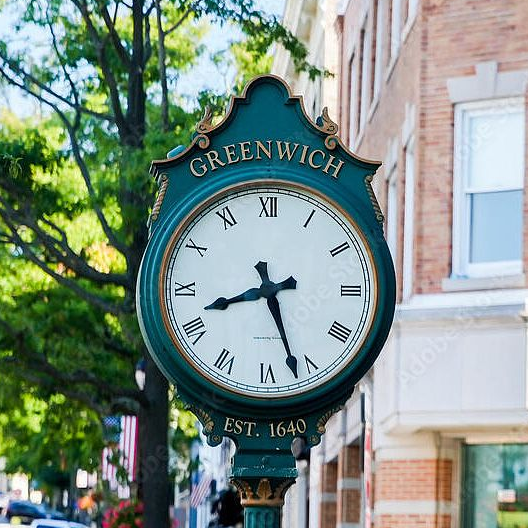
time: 8:26
